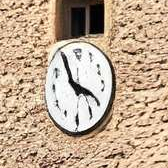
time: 3:55
